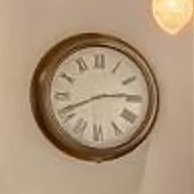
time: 2:41
